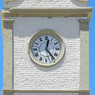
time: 12:23
